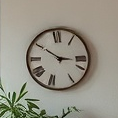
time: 2:50
